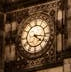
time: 4:16
